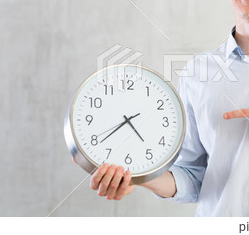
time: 4:38
